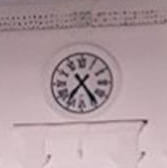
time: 7:24
